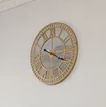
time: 3:49
